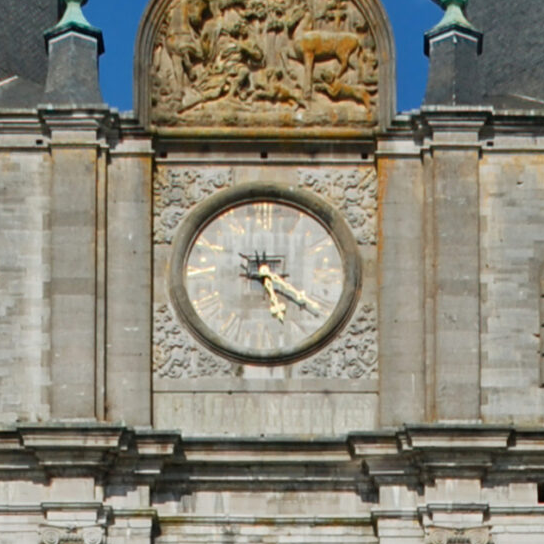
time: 5:20
